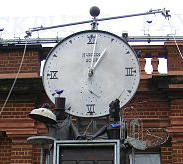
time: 1:01
